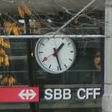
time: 1:28
